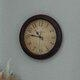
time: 10:46
